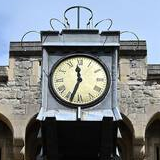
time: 11:33
